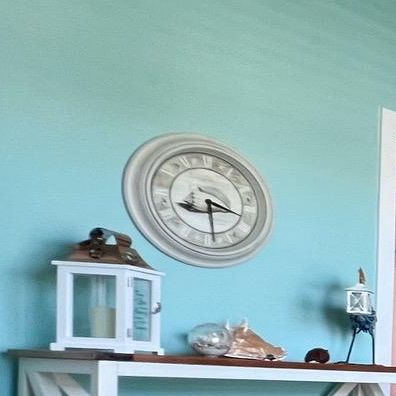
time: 3:29
